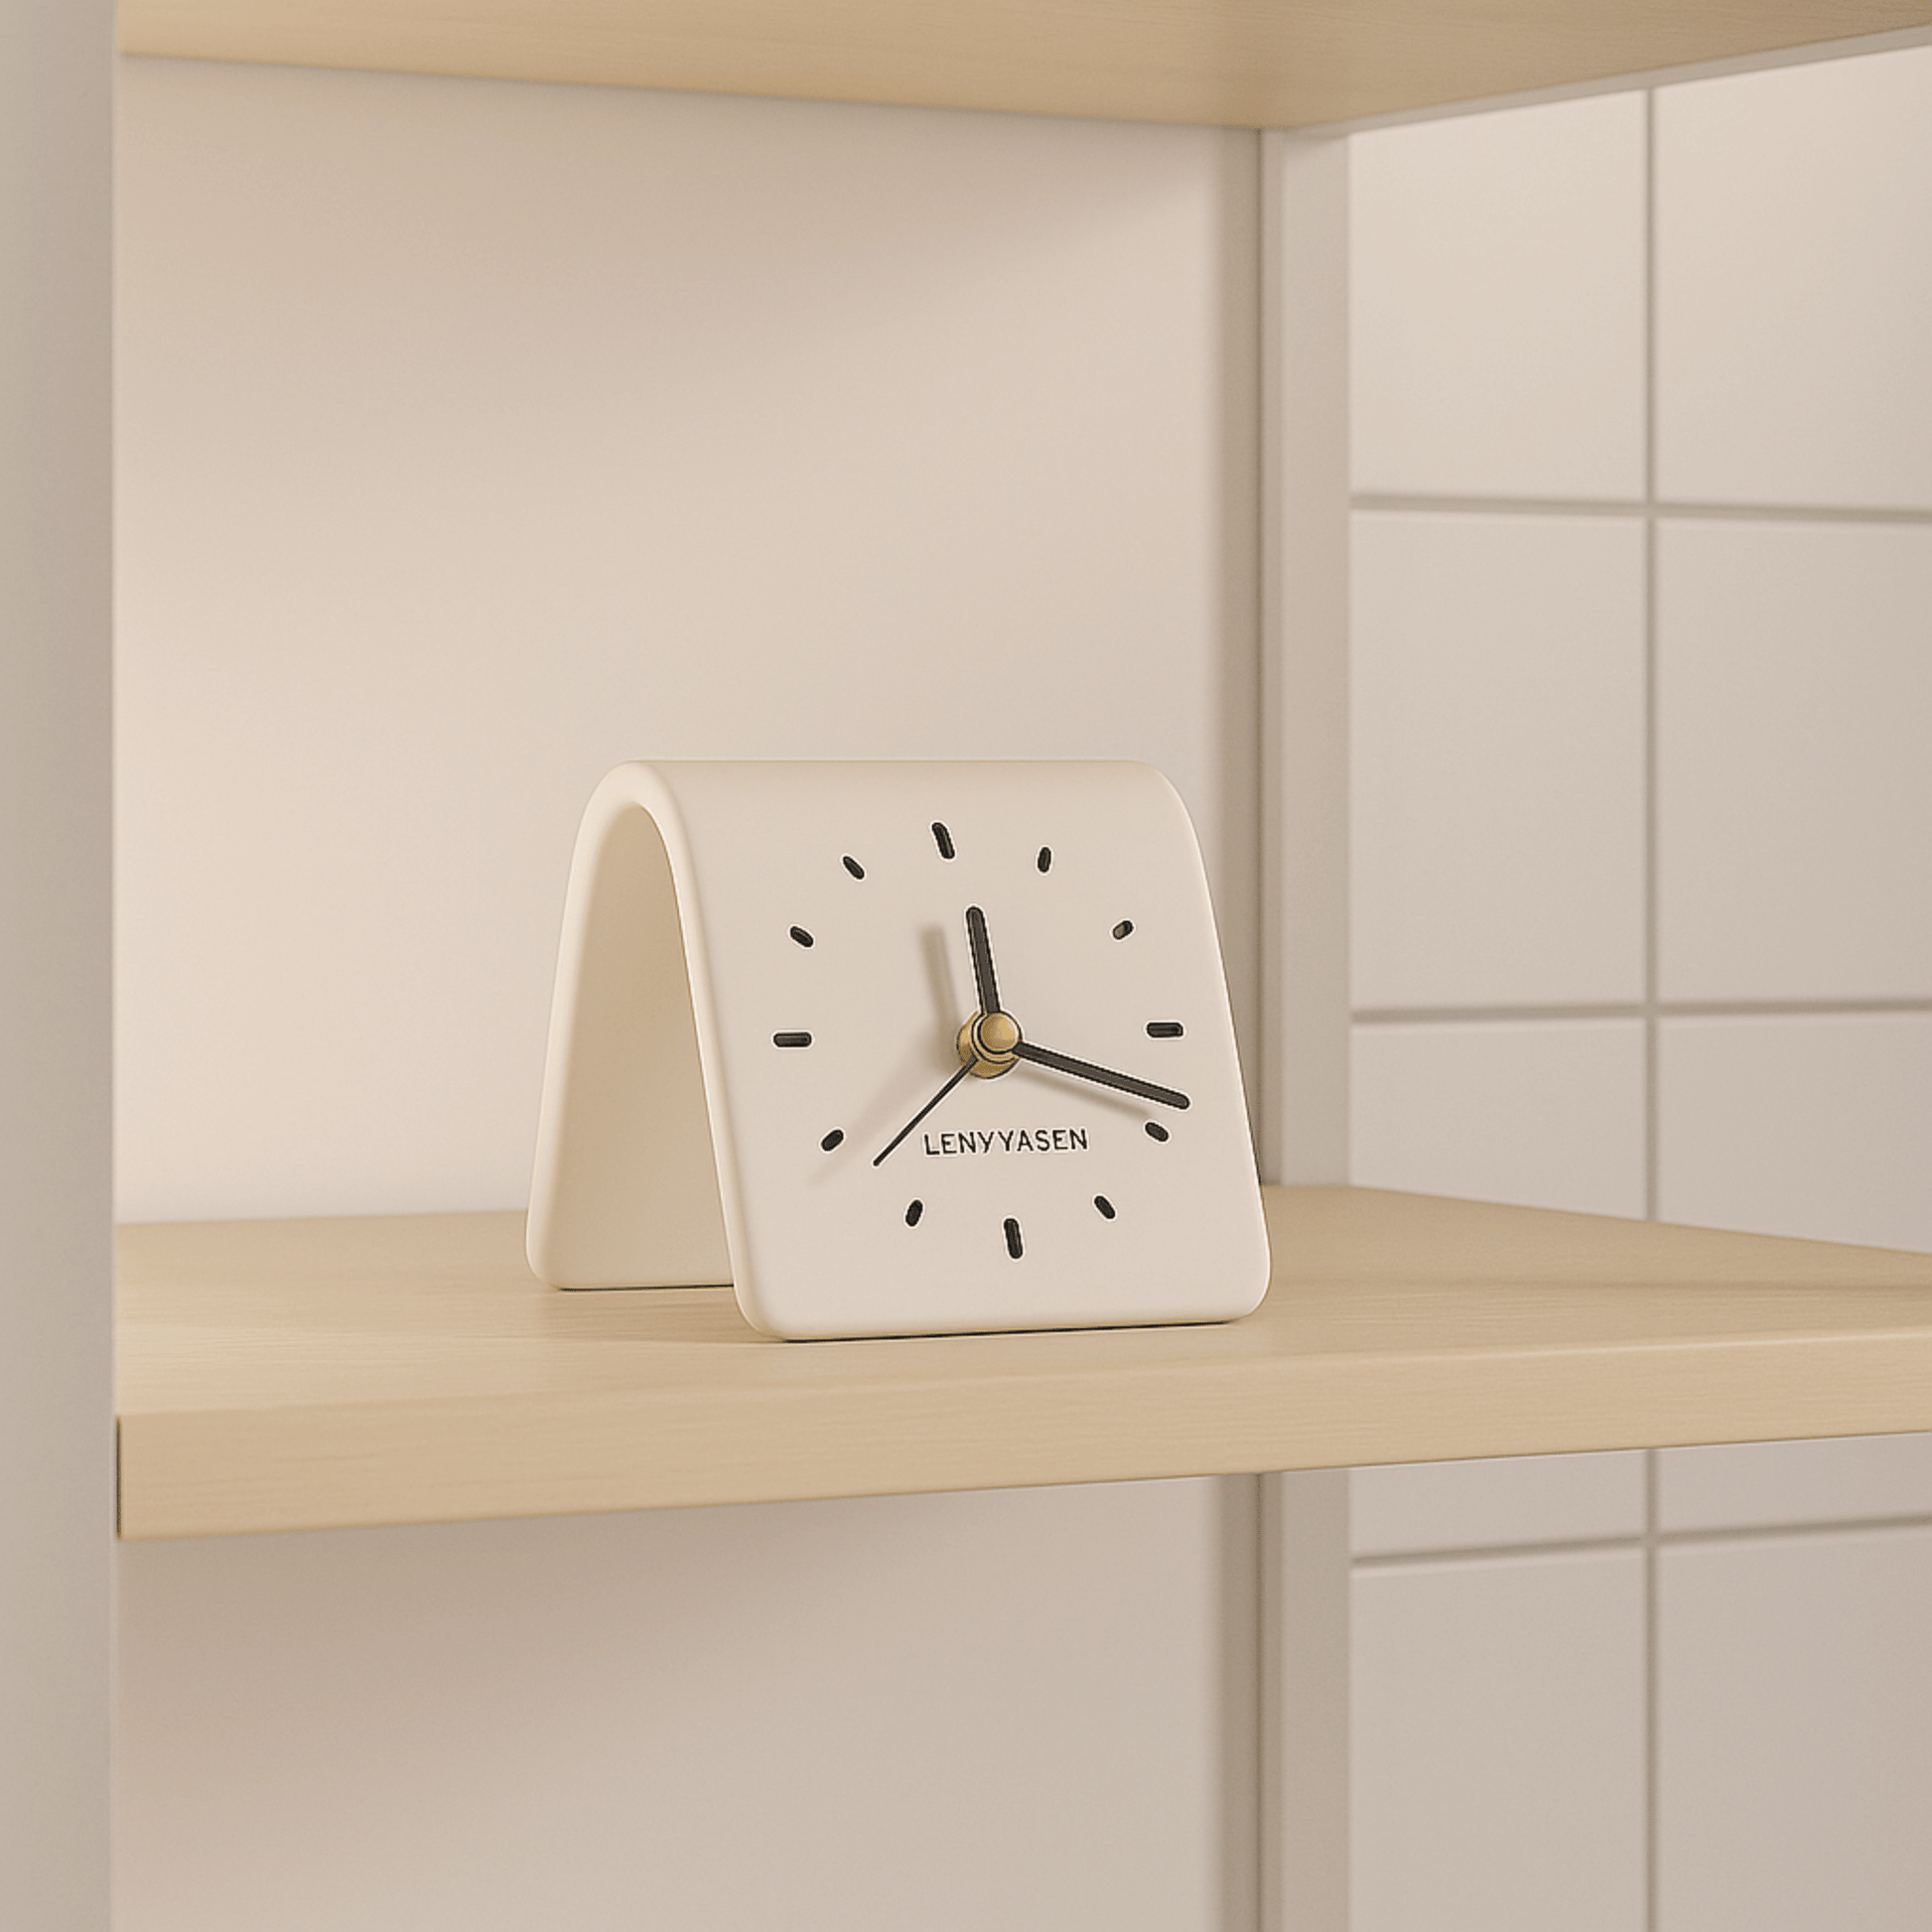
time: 12:18
